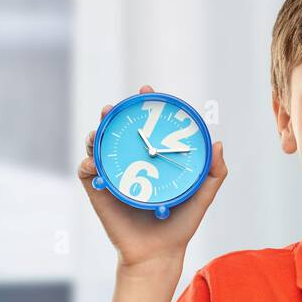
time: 11:15
